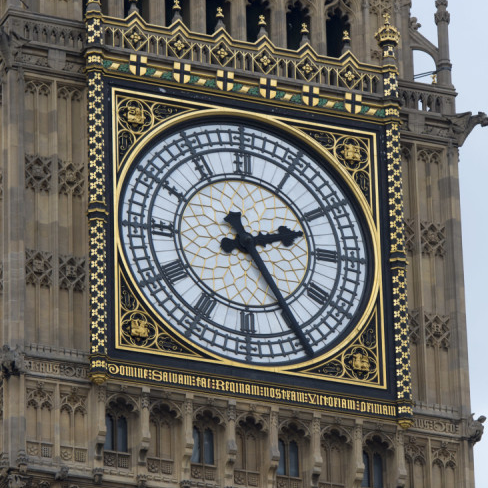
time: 2:24
